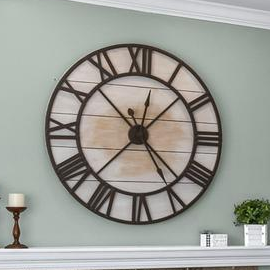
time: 12:24
